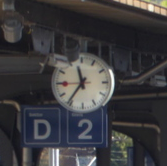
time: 11:36
